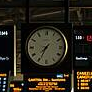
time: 7:34
